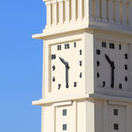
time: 10:30
